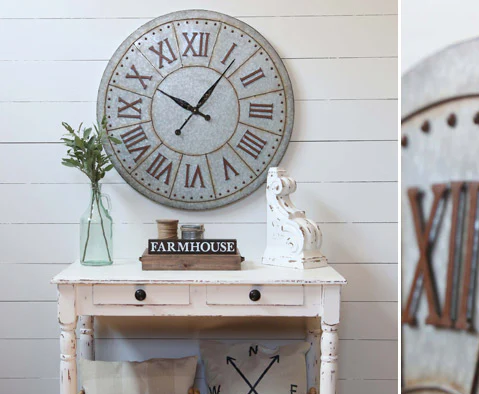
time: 10:06
